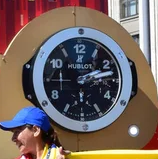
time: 2:12
